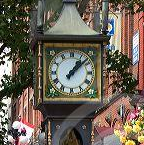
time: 1:08
